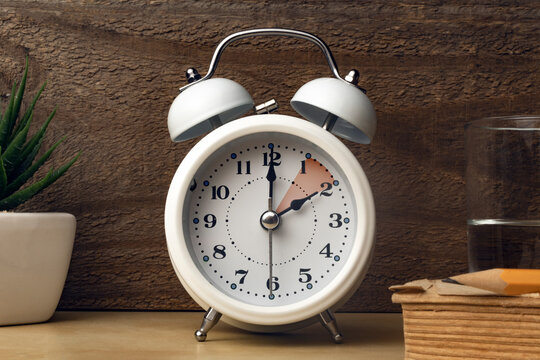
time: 2:00
